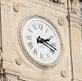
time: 2:18
